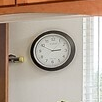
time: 2:49
